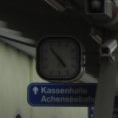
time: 4:53
